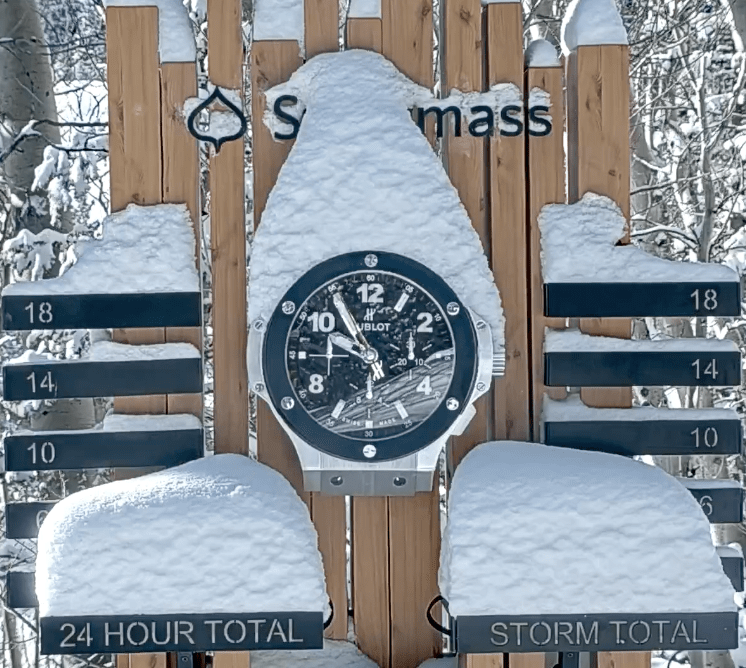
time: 9:54
